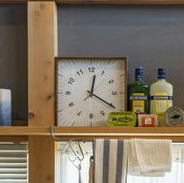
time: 12:20
